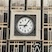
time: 9:06
